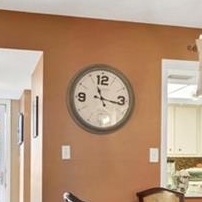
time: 11:16
